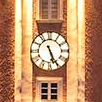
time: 5:26
